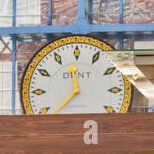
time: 11:37
